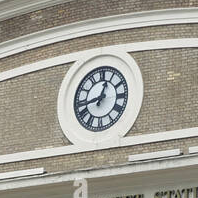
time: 12:42
